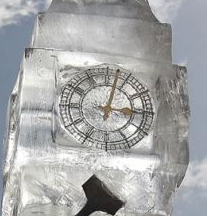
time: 3:02
